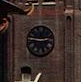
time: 2:46
